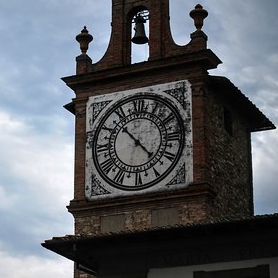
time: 10:22
